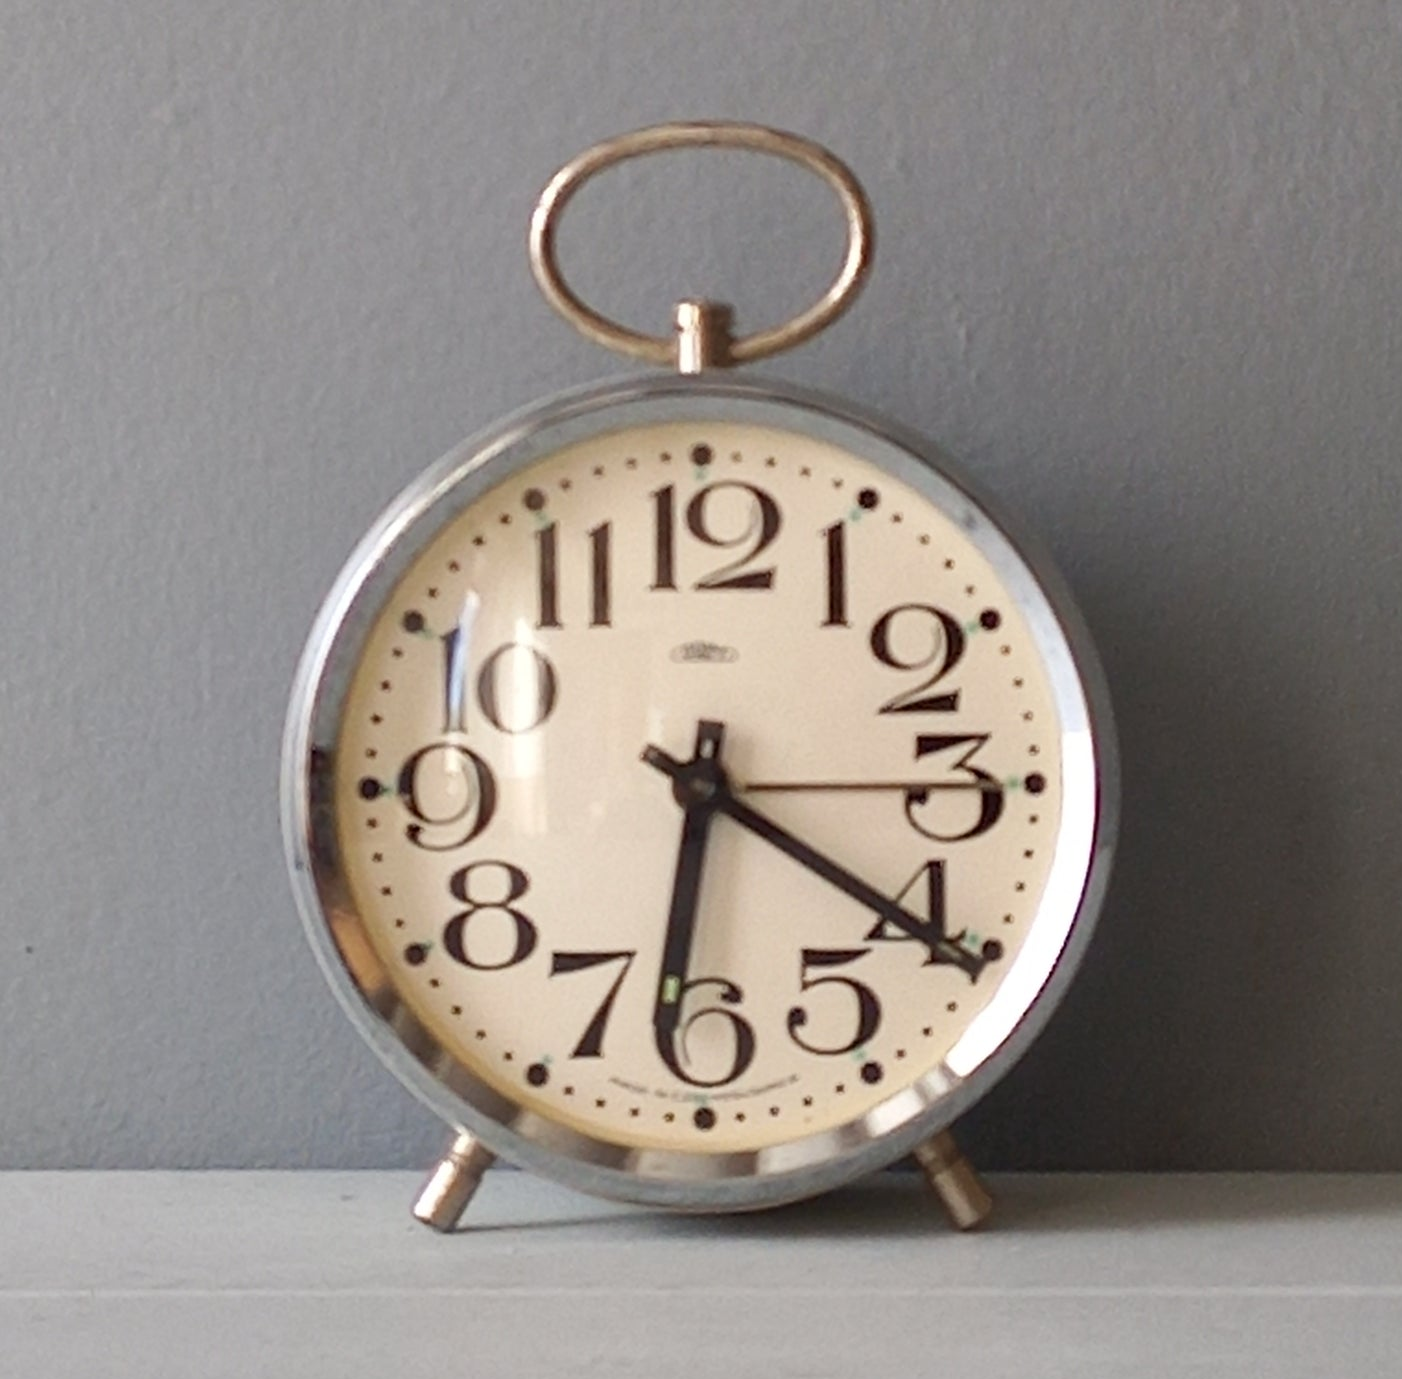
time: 6:20
